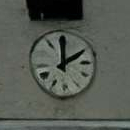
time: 2:00
